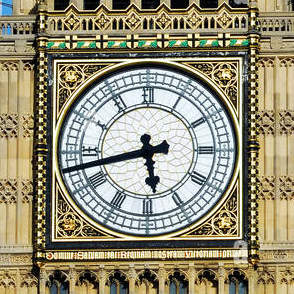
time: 5:42
